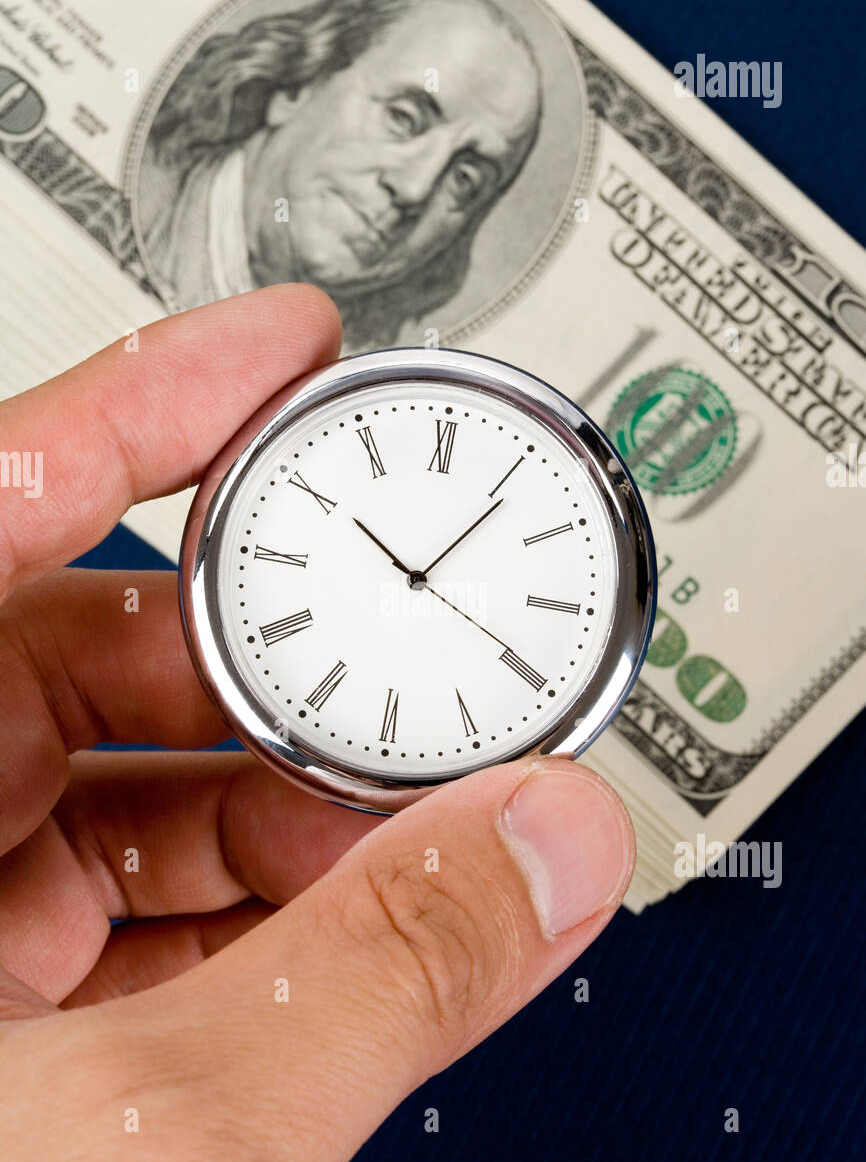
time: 10:06
